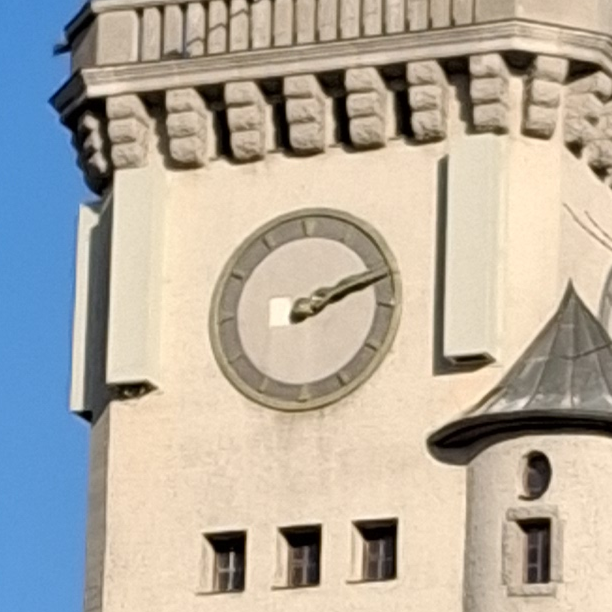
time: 2:11
